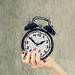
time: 1:50
